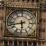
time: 5:42
